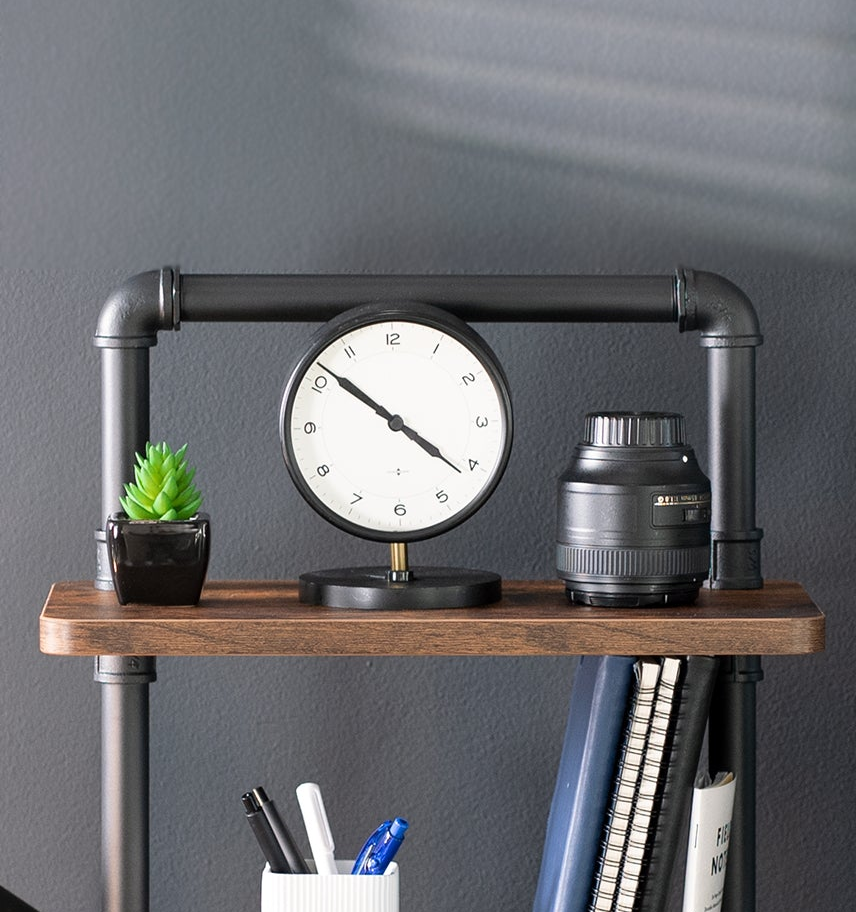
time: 10:21
